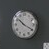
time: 10:19
